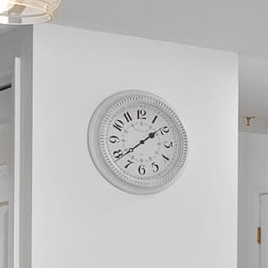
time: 1:38
